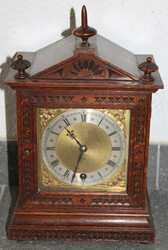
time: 10:33
